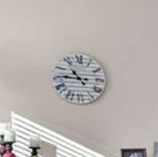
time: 10:45
